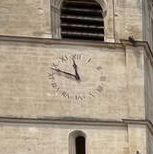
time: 11:47
